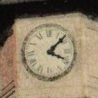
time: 4:07
